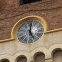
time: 5:00
